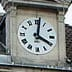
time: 4:01
